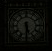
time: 5:30
